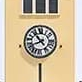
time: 10:41
